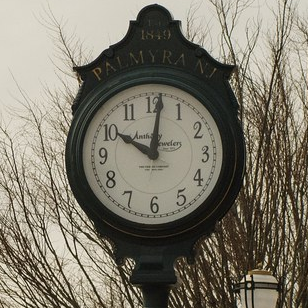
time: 10:01
